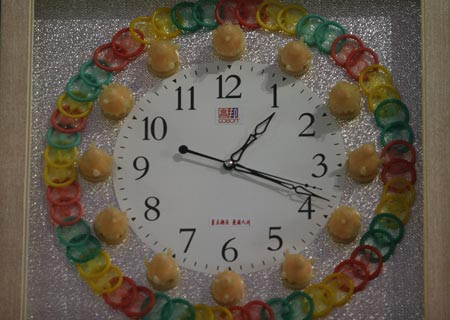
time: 1:18
